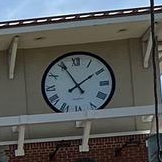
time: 1:55
